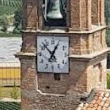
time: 12:52
